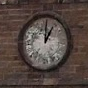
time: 1:00
